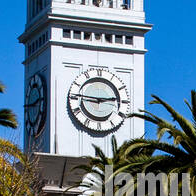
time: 2:46
